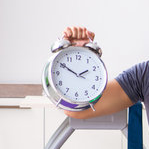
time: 1:50
